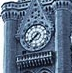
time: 7:37
